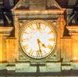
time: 4:28
